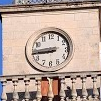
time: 8:44
